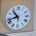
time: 10:42
